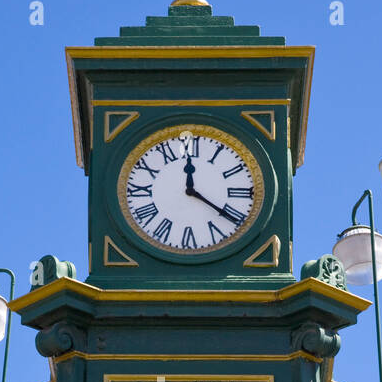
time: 12:20
